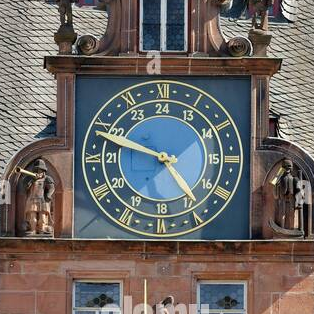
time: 4:48
